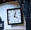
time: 4:03
